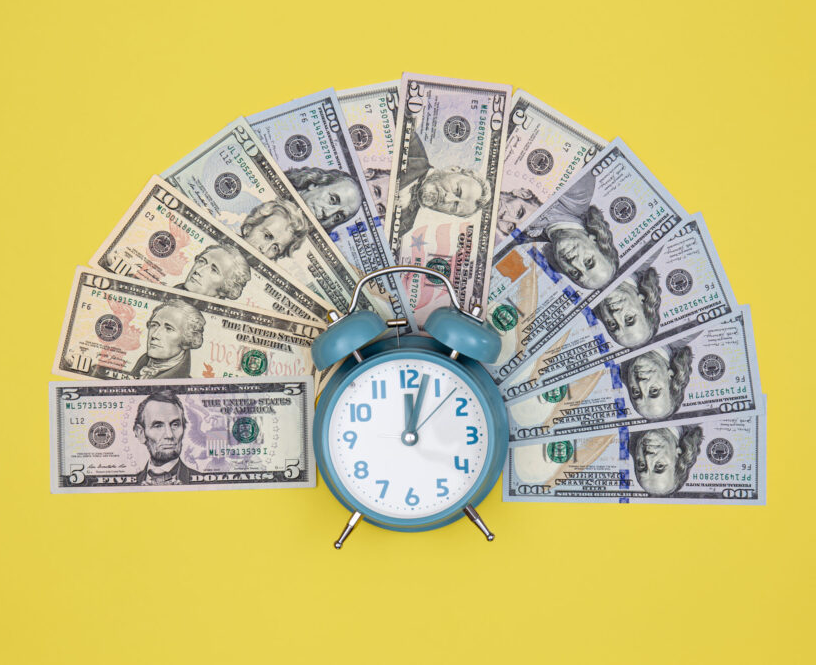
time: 12:03
